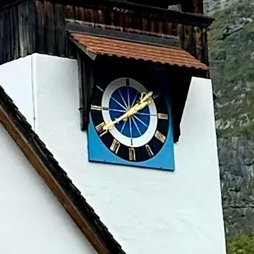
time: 1:39
